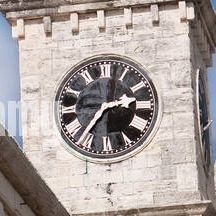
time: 2:36
